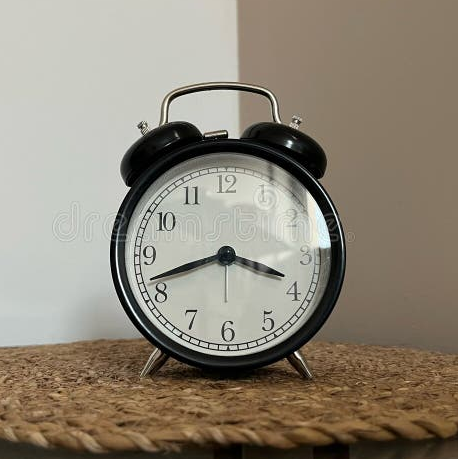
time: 3:42
